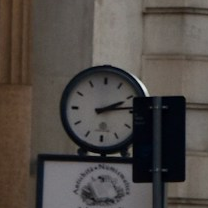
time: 2:13
